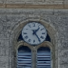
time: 1:24
